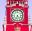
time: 4:33
